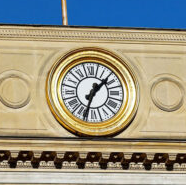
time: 1:33
